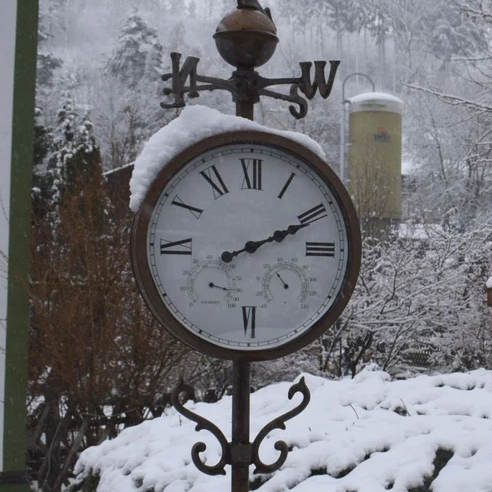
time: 2:10
